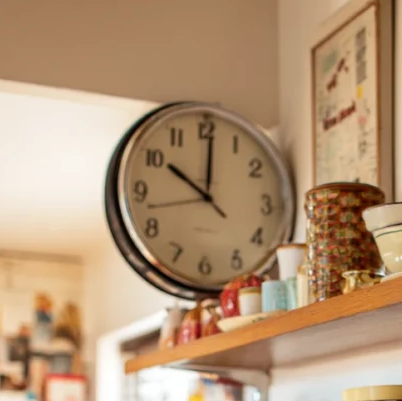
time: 10:00
